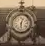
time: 6:03
